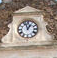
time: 12:57
